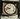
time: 9:42
